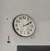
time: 2:09
